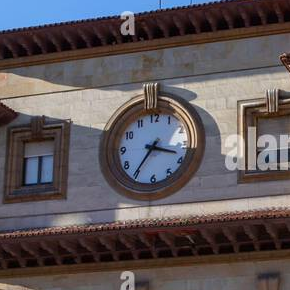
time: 3:35
